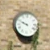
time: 9:48
